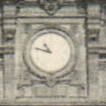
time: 10:47
